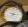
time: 7:15
